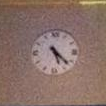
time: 5:22
